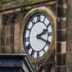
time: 2:19
